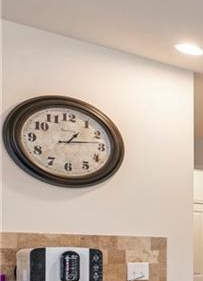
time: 1:13
